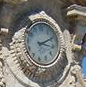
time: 3:10
